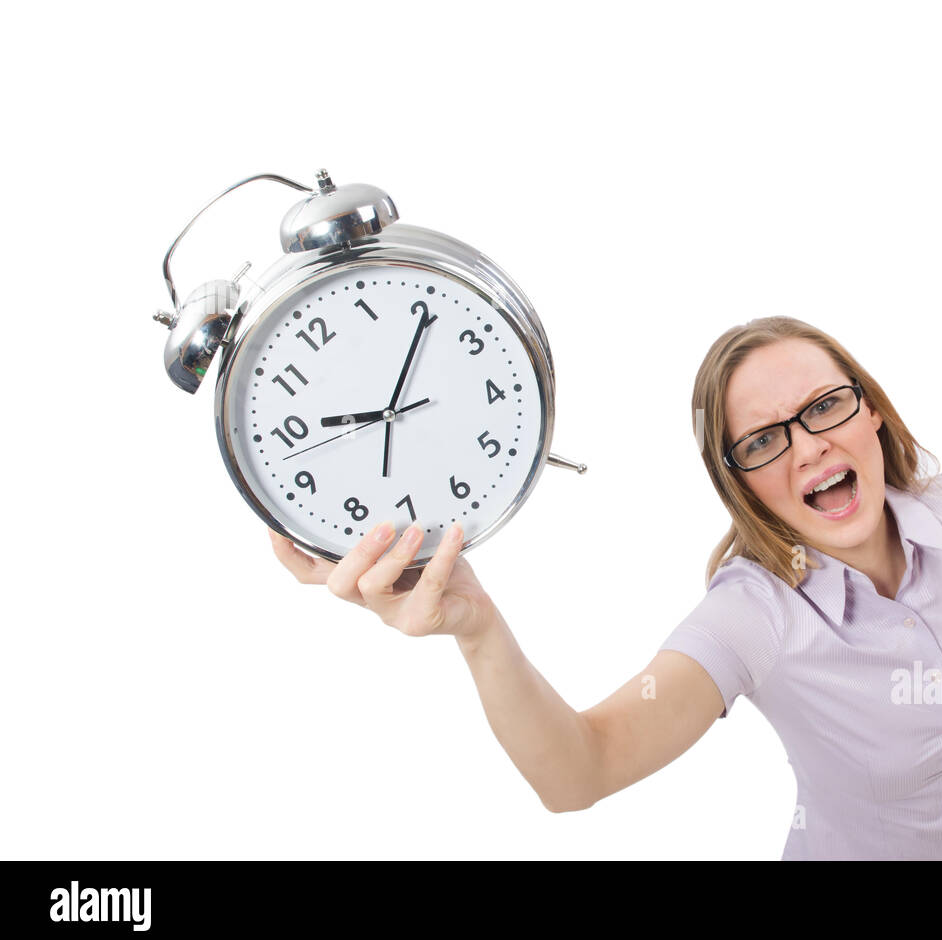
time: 9:05
